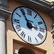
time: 2:54
